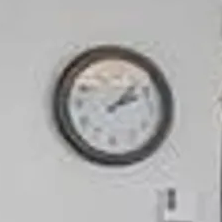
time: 2:07
